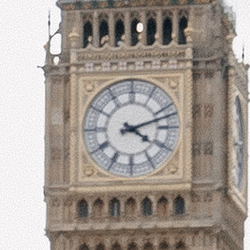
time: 4:11
